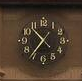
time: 10:36
